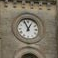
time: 12:55
